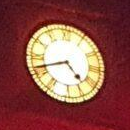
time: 4:41
